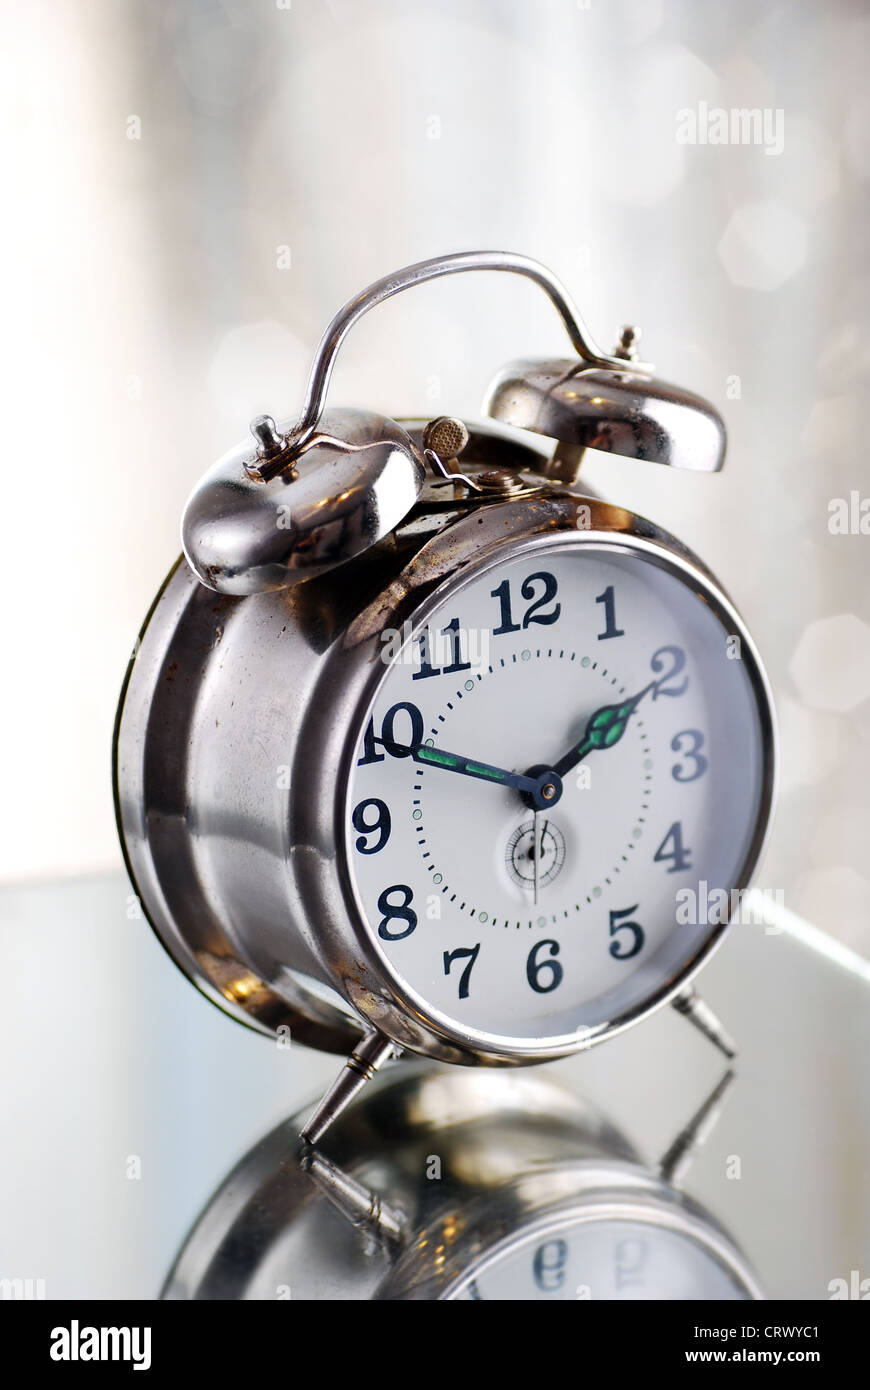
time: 1:49
